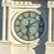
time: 6:10
